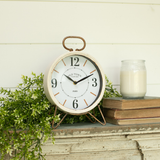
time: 10:11
